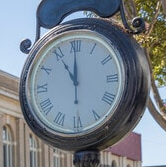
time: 10:59
